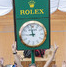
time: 8:57
